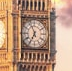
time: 6:56
